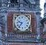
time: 9:36
